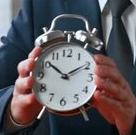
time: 1:51
